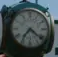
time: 7:21
